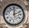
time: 12:11
